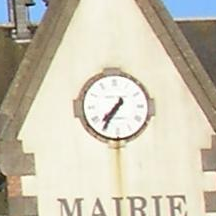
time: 7:35
